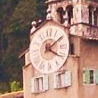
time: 4:09
